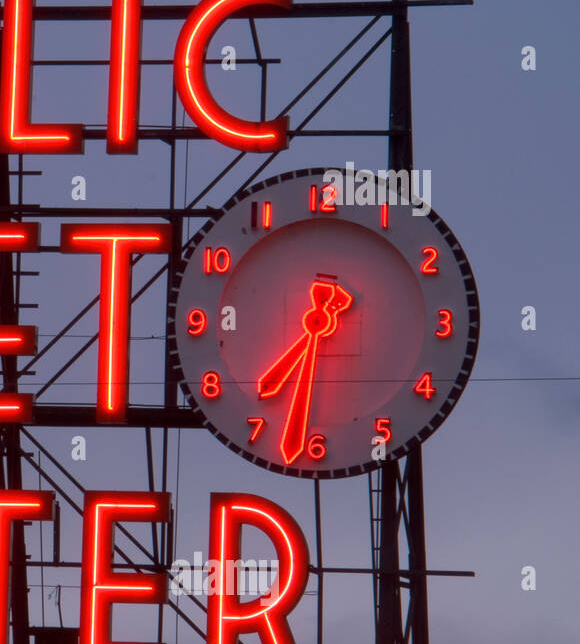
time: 7:31
